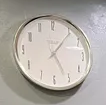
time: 5:06
